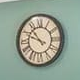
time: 10:48
